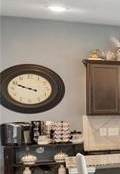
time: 9:49
